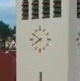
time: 7:51
